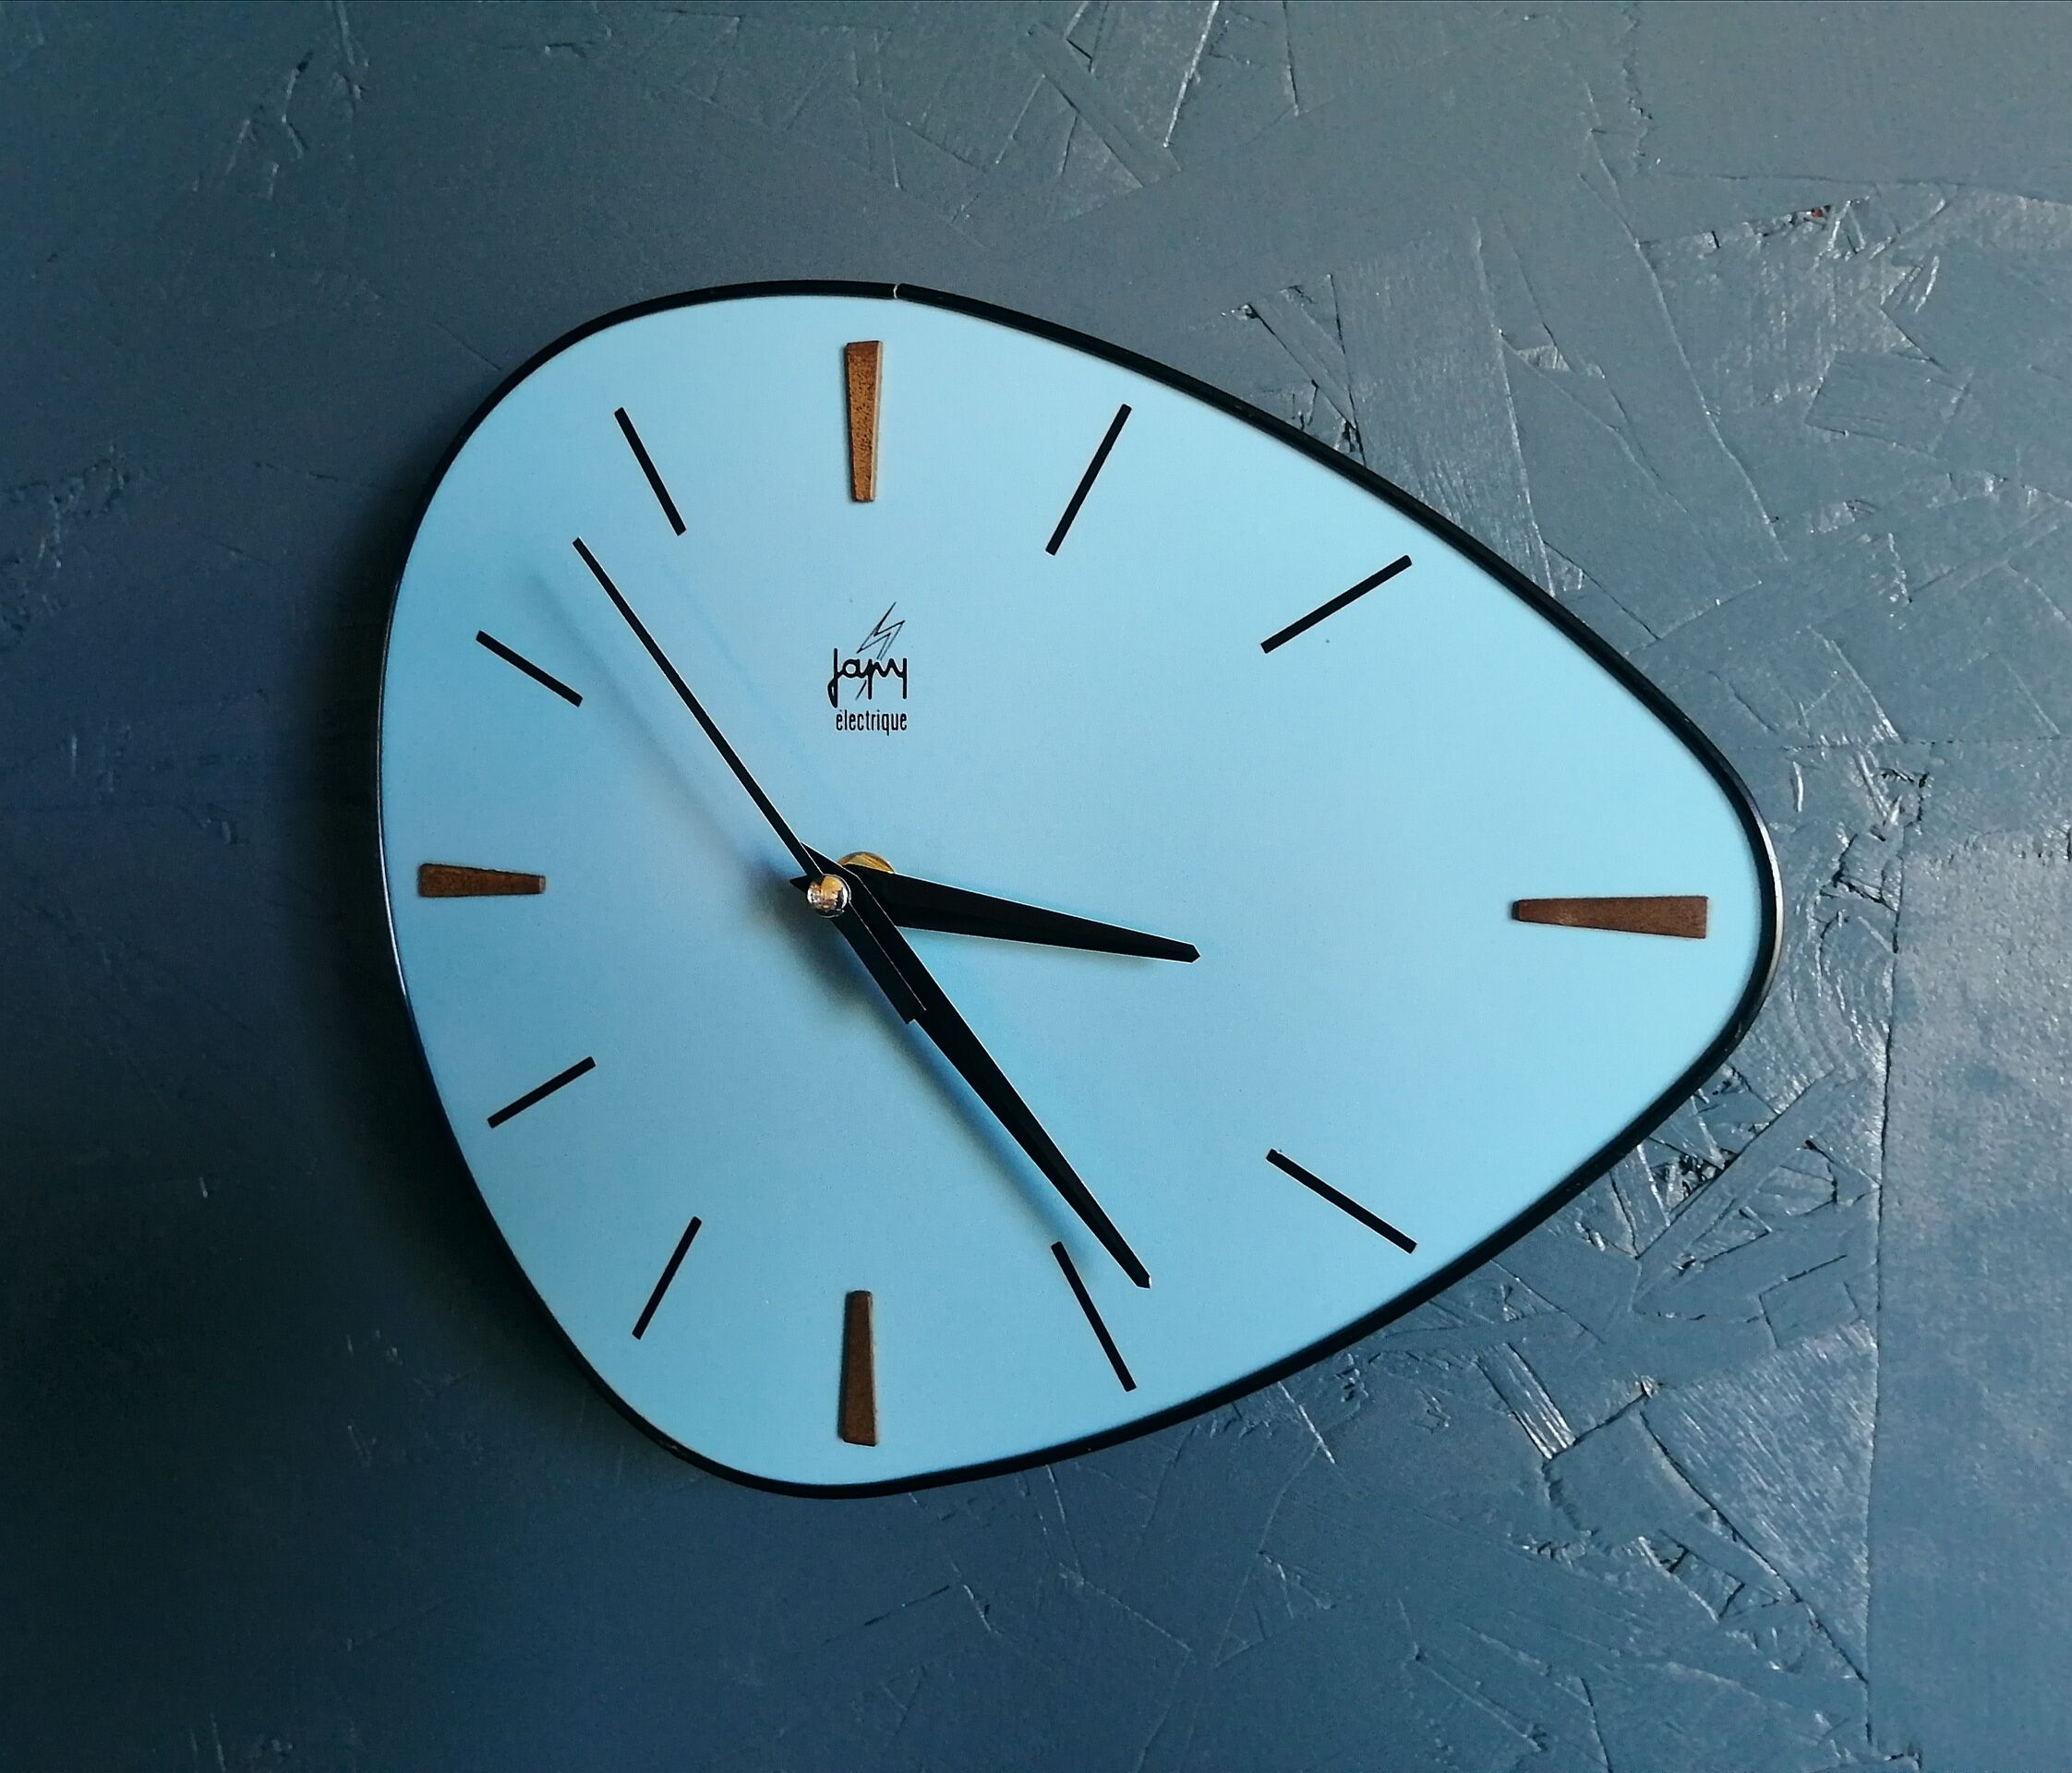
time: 3:23
